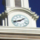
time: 1:42
